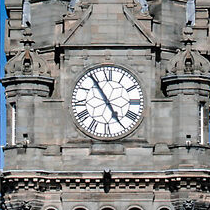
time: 4:54
